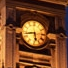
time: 5:42
